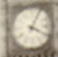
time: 4:04
